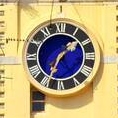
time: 1:34
